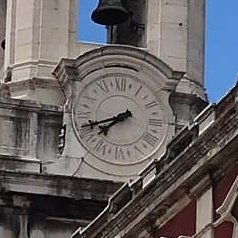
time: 7:41
